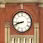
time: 8:42
